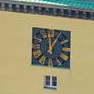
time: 12:05
